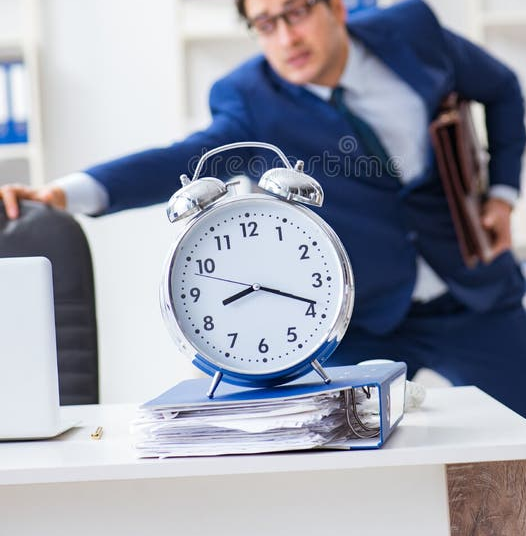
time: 8:18
